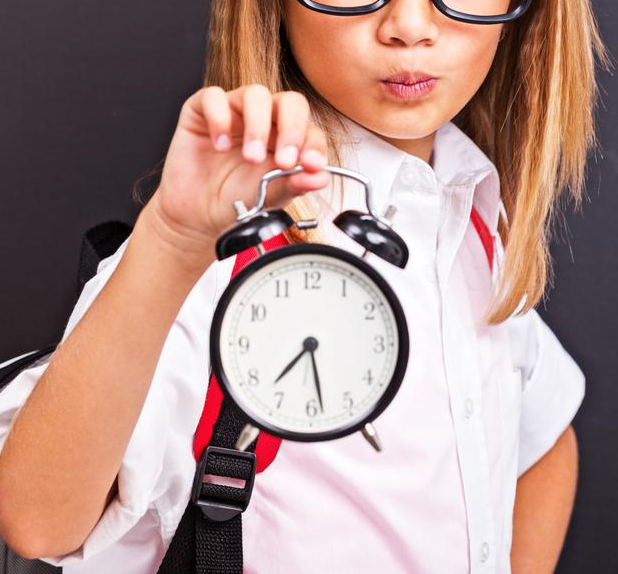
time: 7:28
